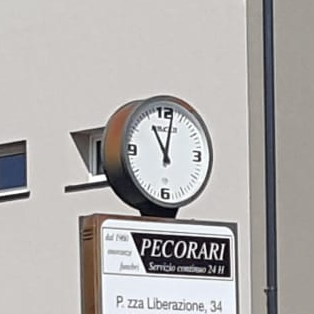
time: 11:02
